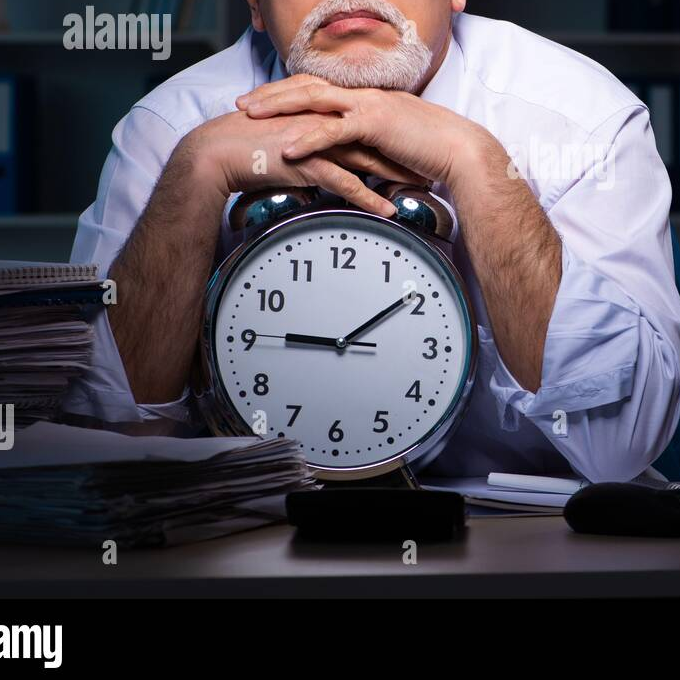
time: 9:09
